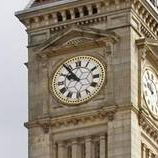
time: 9:53
